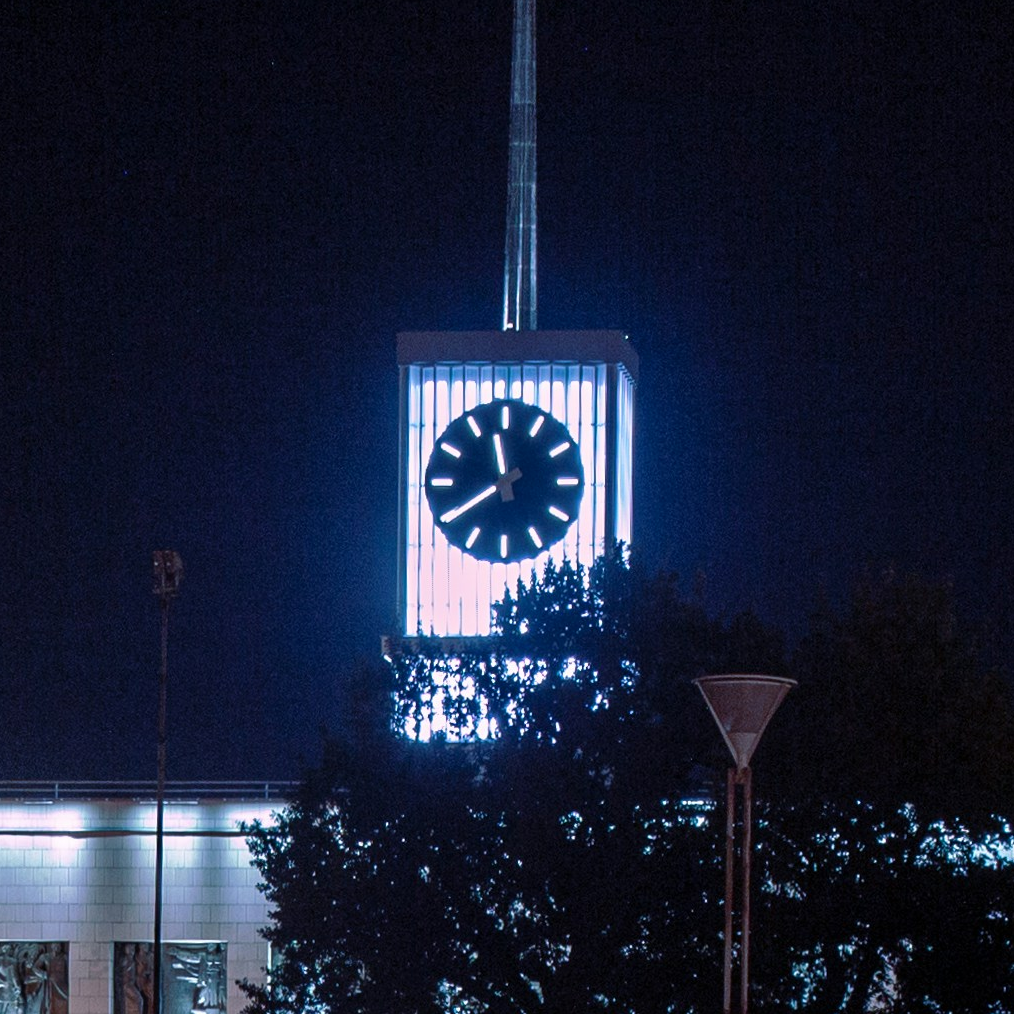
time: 11:40
